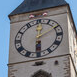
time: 6:01
